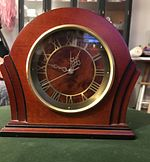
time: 12:47
